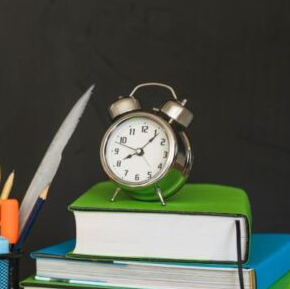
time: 8:06
